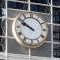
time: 9:51
